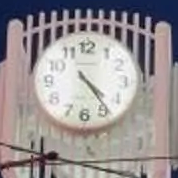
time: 4:23
